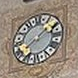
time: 1:39
